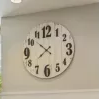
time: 7:51
